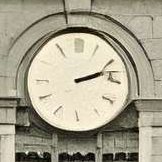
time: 2:12
